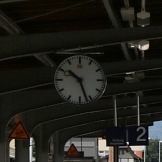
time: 10:26
